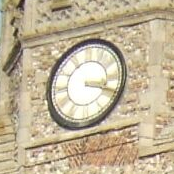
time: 3:18
